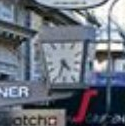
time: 4:33
